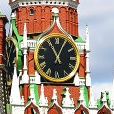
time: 11:04
